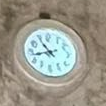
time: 10:42
